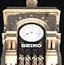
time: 8:16
